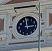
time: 2:58
